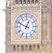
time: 12:49
